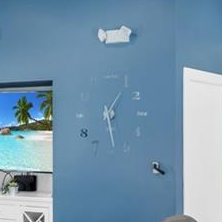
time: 1:28
